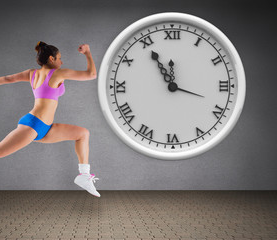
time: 11:55
